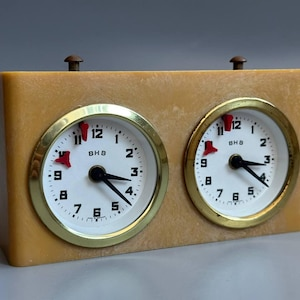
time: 3:21
